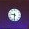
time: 9:31
